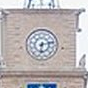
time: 6:12
